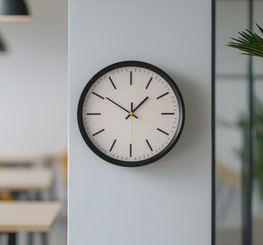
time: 10:07
